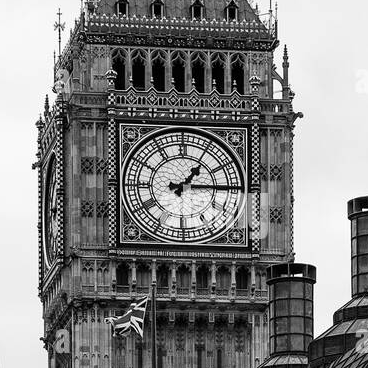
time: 1:14
